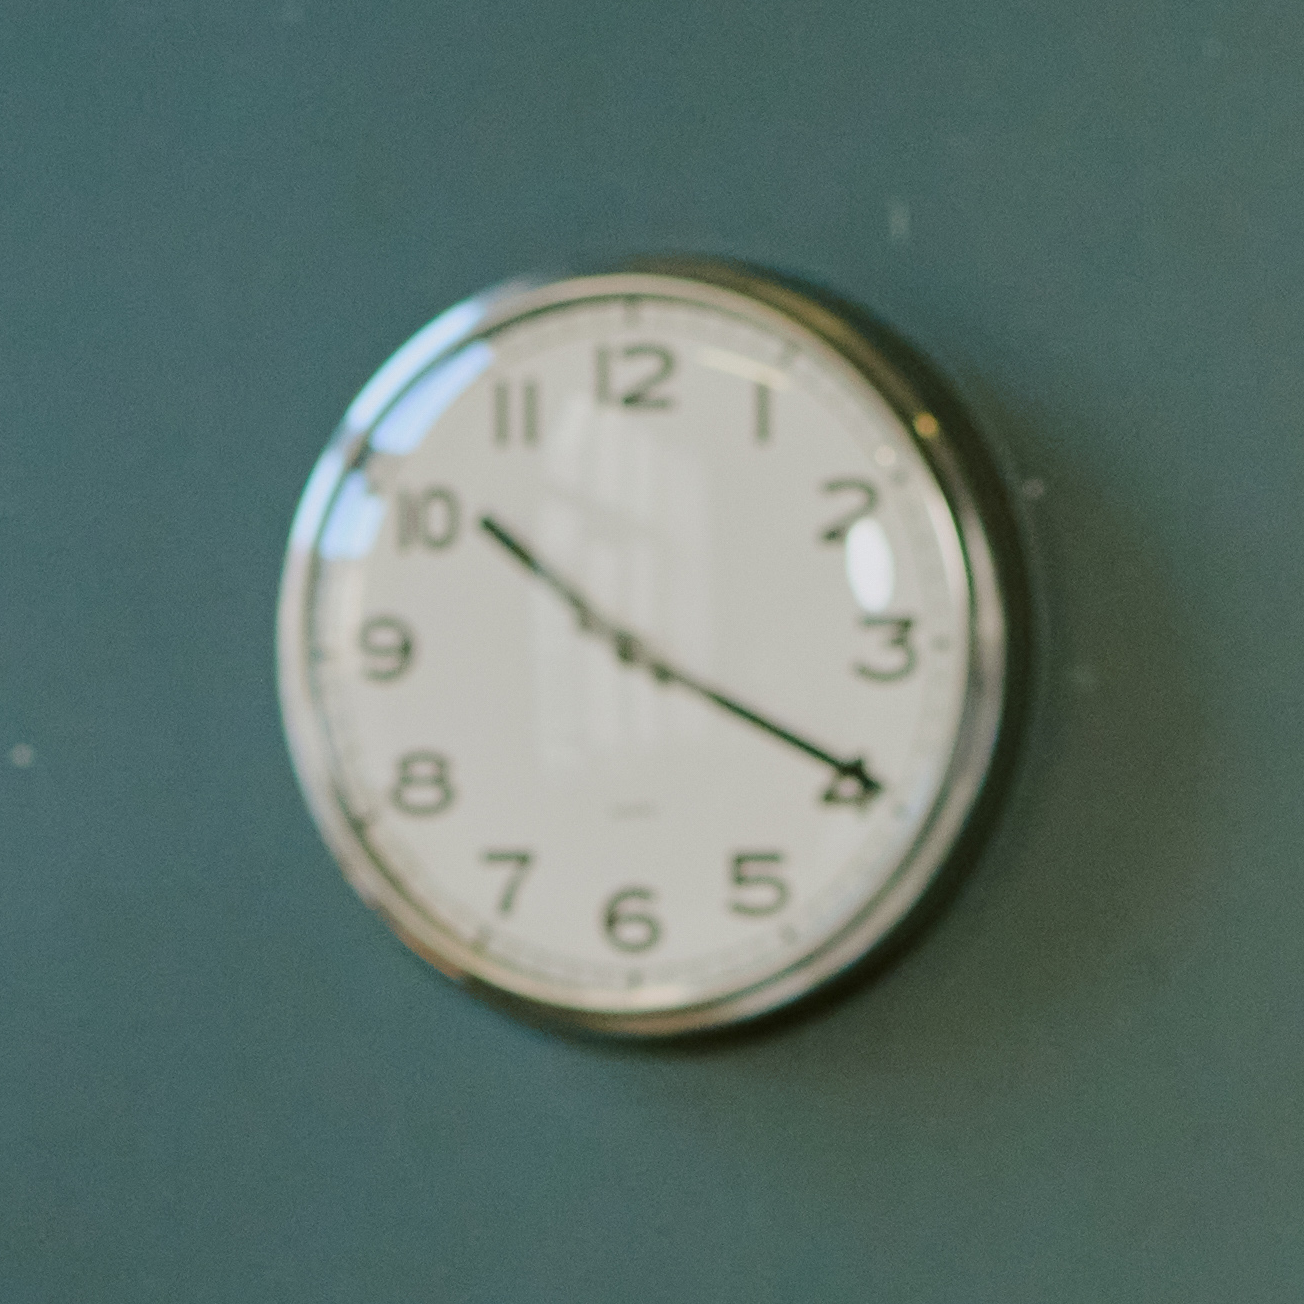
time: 10:19
